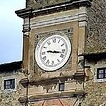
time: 9:17
